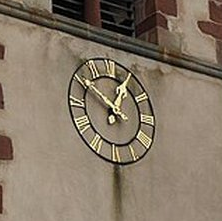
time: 12:51
